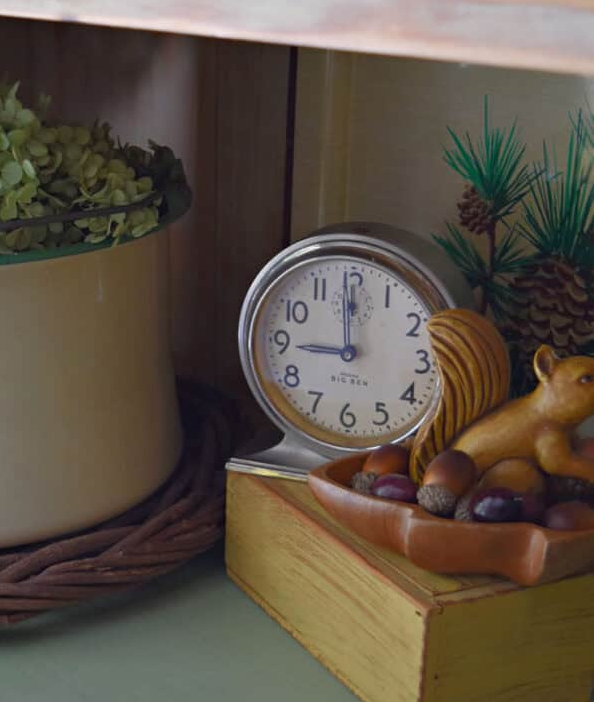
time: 8:59
